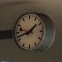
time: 1:41
